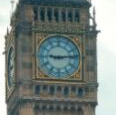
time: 9:13
